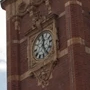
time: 12:23
